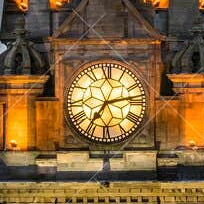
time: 7:13
